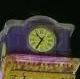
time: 10:35
